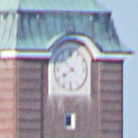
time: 7:52
